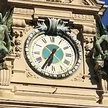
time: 6:35
